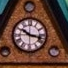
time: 10:17
